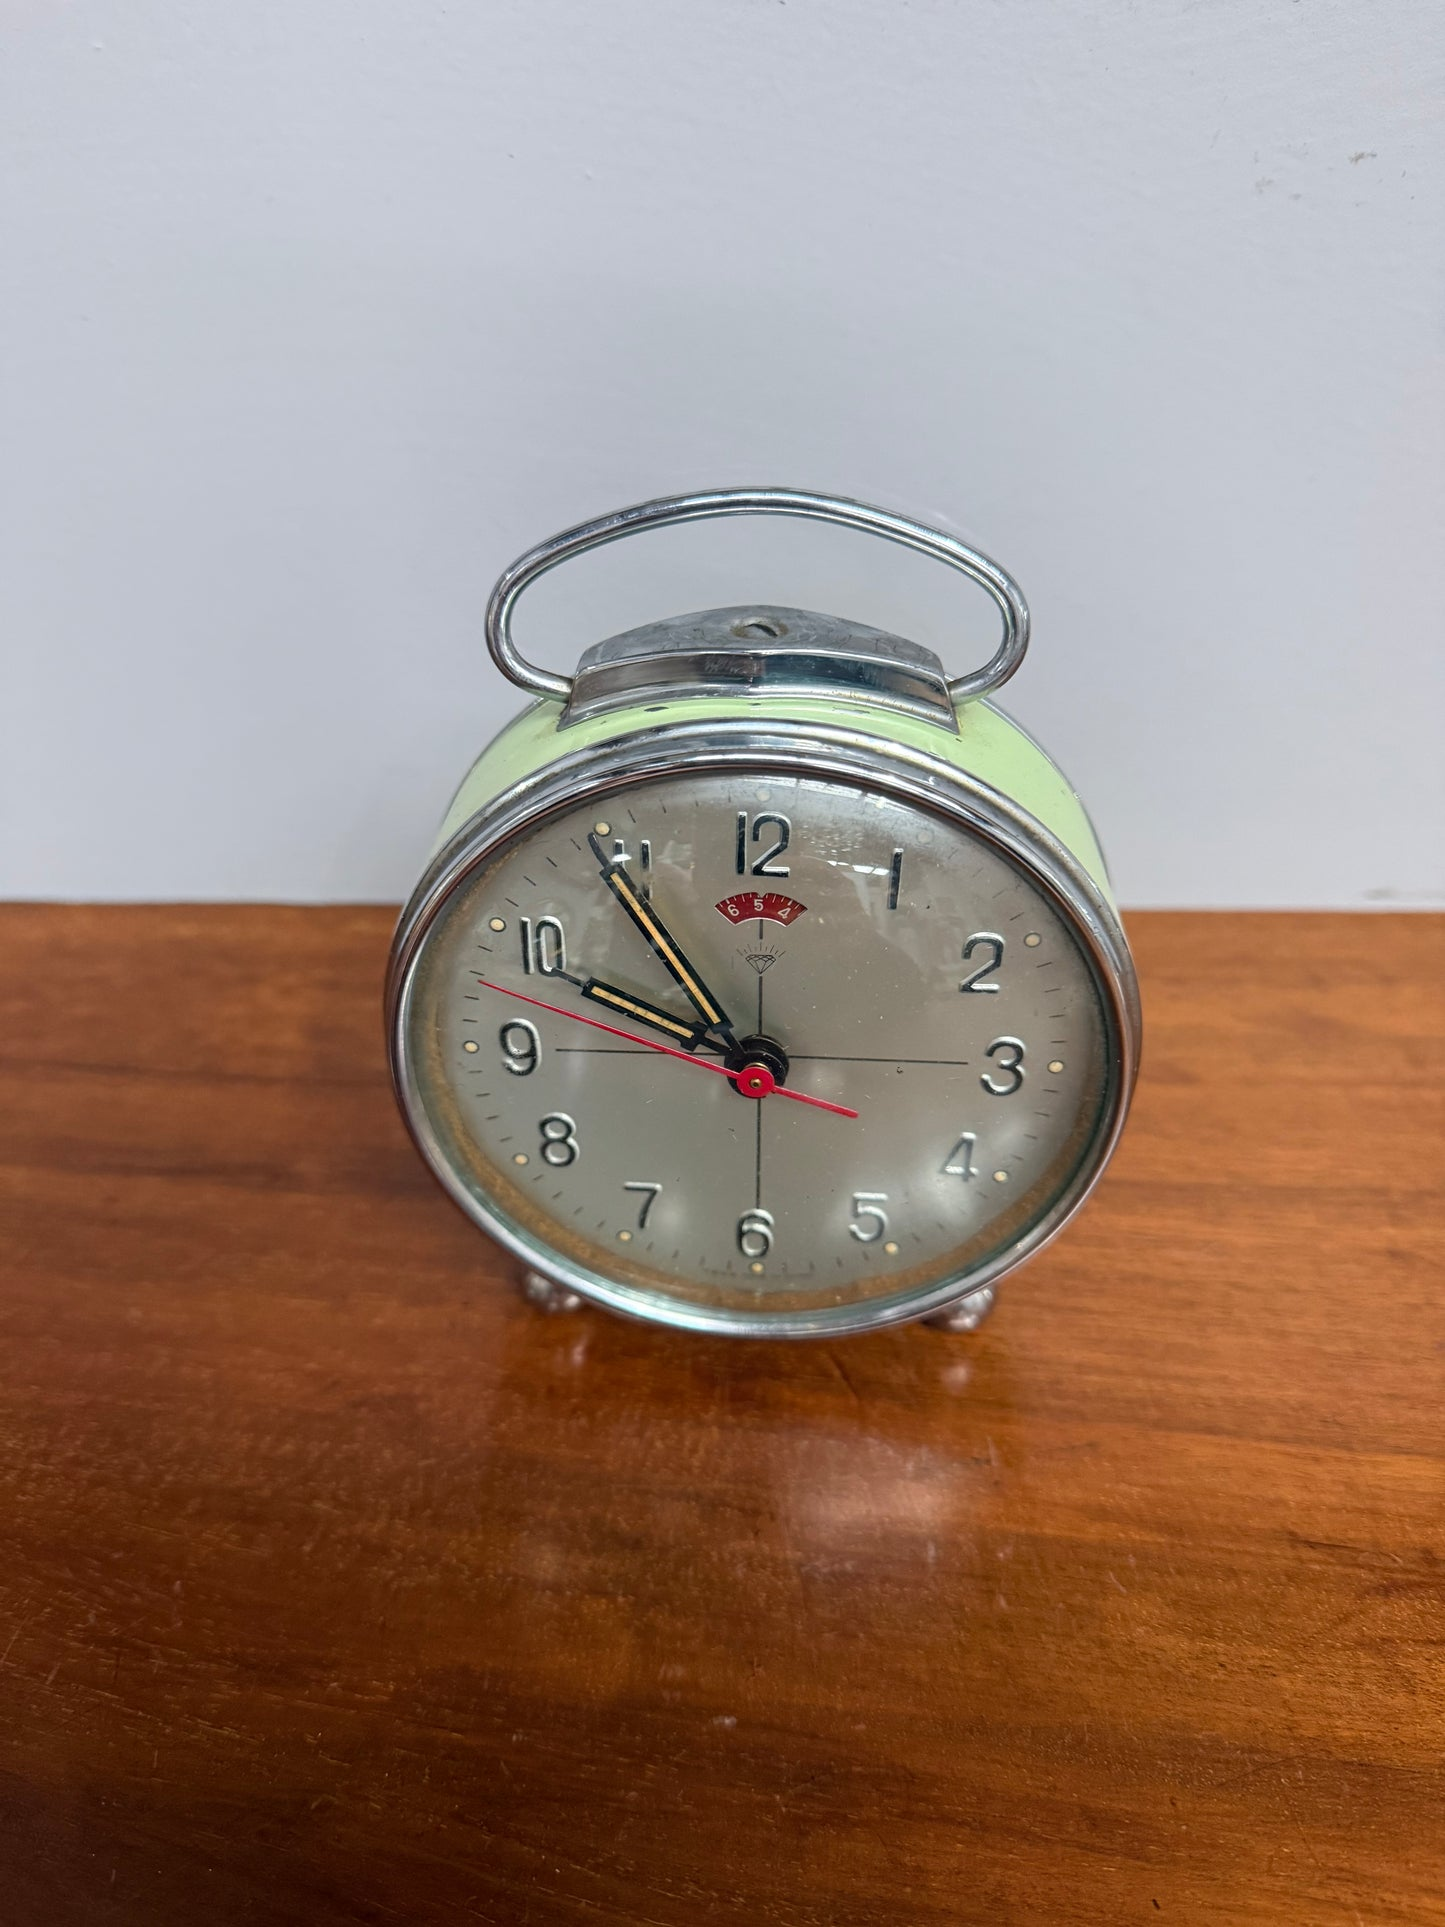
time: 9:54
